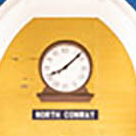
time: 8:07
